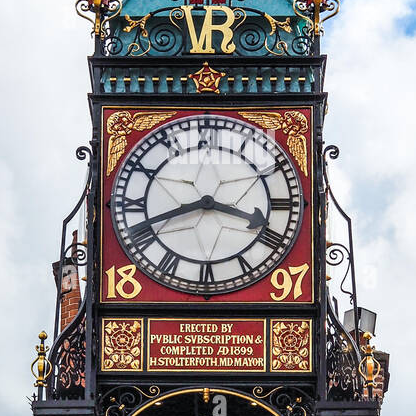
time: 8:18
